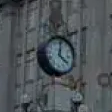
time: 4:01
